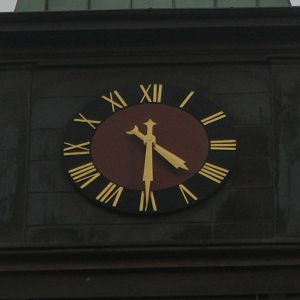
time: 4:30
